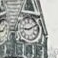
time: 9:10
